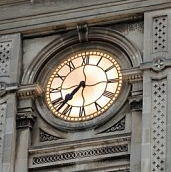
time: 7:37
